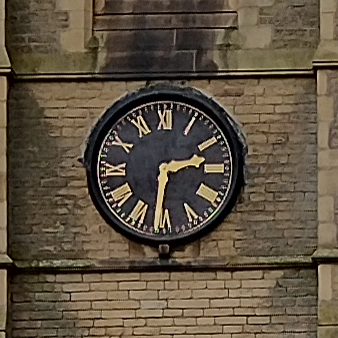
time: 2:31
